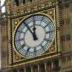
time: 11:54
